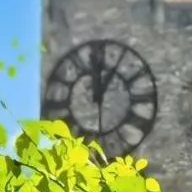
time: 12:05
